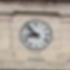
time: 8:53
